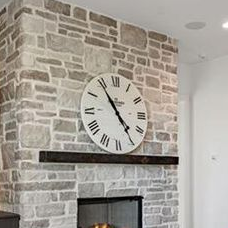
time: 4:54
